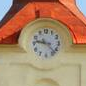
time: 9:22
